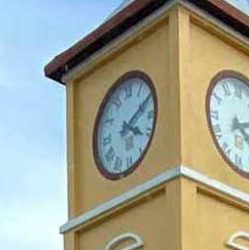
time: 4:10
